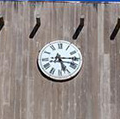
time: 5:14
